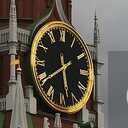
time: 5:39
